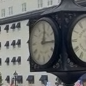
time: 12:14
